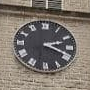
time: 2:18
